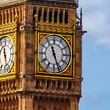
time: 11:26
